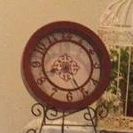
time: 8:25
